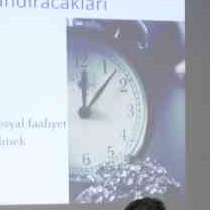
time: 12:07
